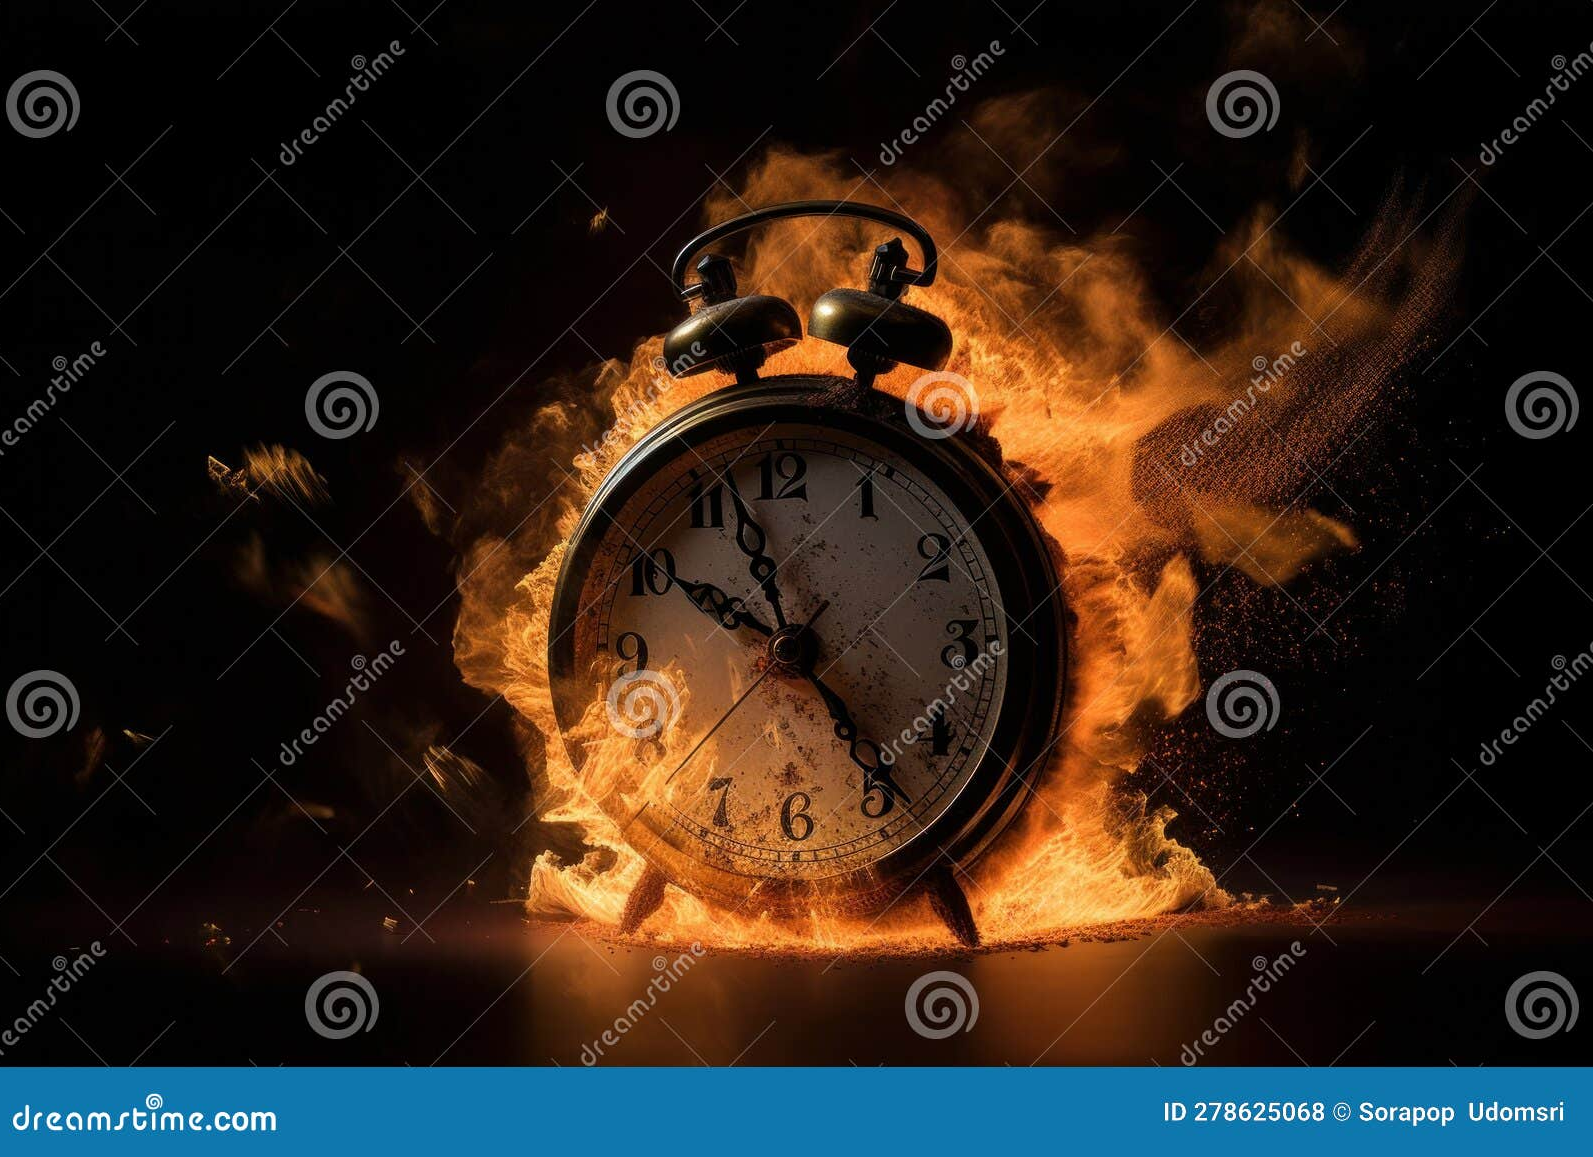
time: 9:56
